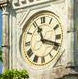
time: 11:18
